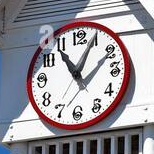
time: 11:04
